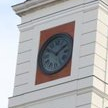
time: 1:50
